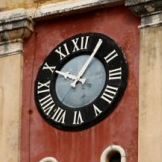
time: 10:05
